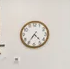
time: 4:35
